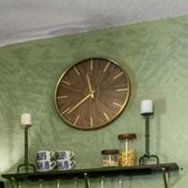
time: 11:38
